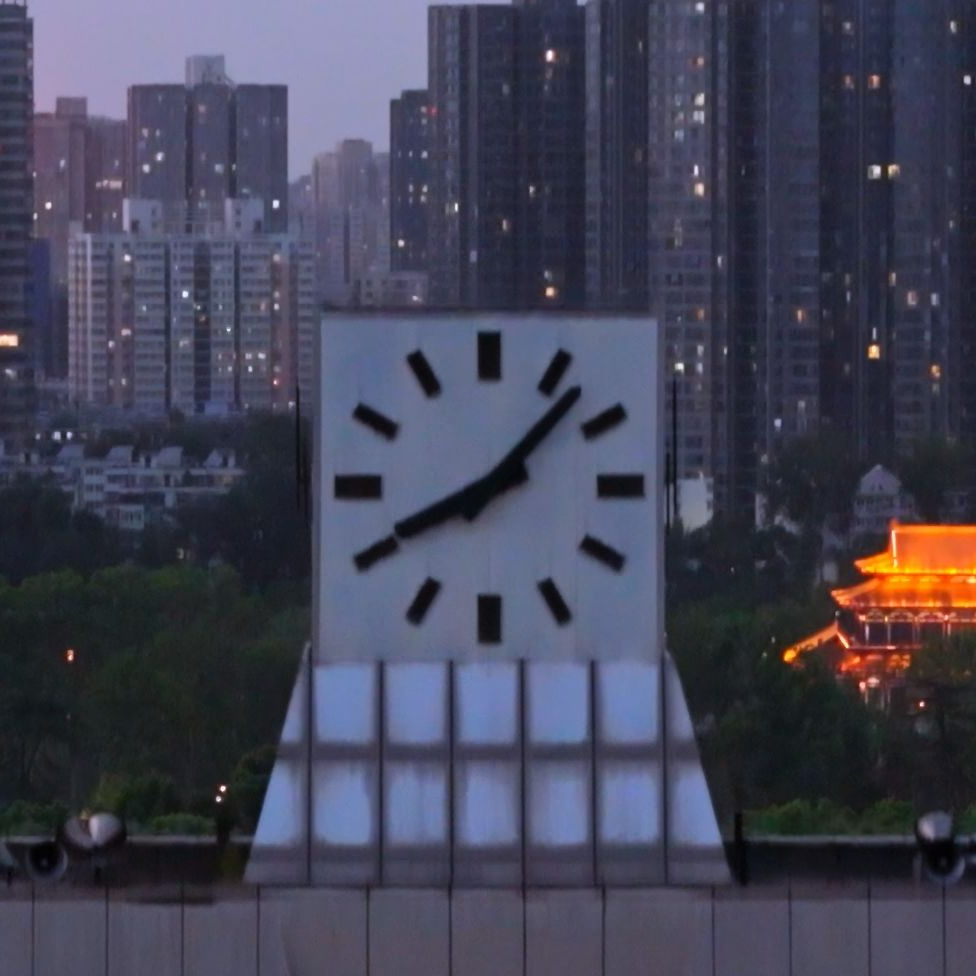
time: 8:07
